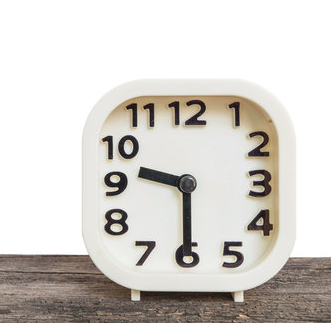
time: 9:29
